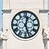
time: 12:26
